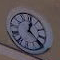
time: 12:20
